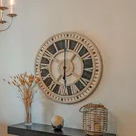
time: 5:59
